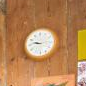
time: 9:47
